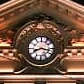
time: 8:17
